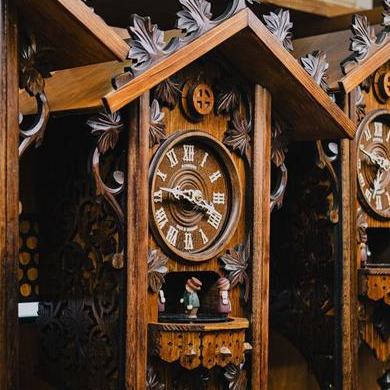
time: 3:47
